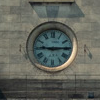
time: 9:14
